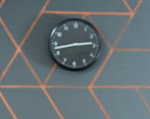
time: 2:42
